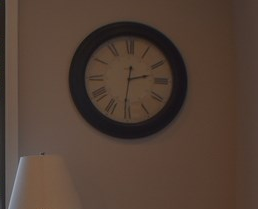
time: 2:31
